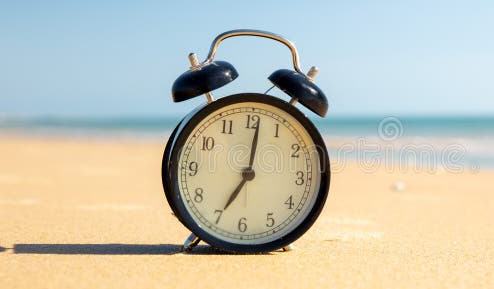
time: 7:01
